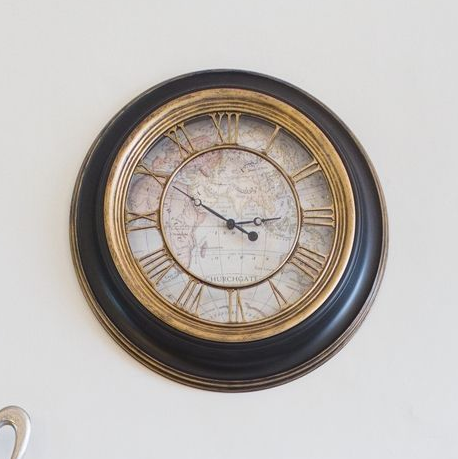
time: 2:50
